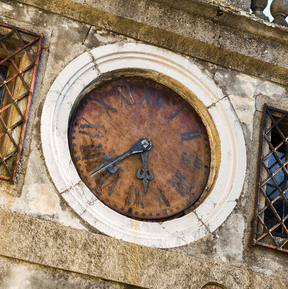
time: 5:37
